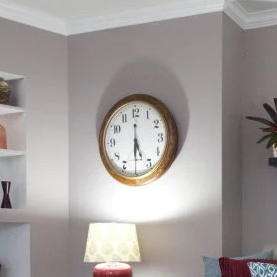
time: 5:30
